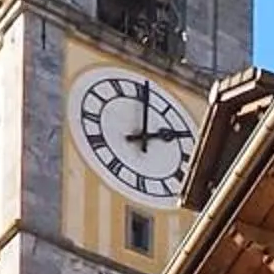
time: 2:00
